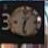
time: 11:32
